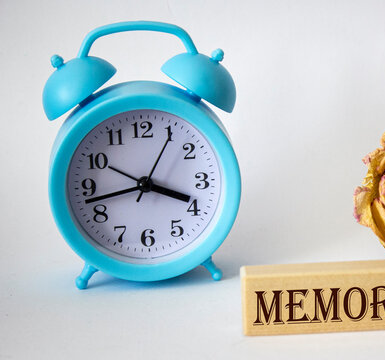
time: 3:42
